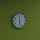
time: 6:00
